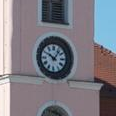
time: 10:06
